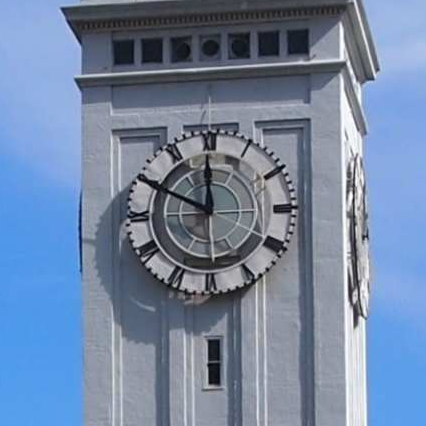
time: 11:49
